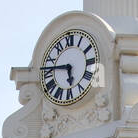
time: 5:46
